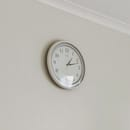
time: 1:12
